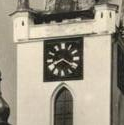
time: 8:20
